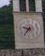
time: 9:36
